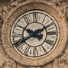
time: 9:40
